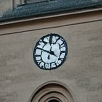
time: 11:49
